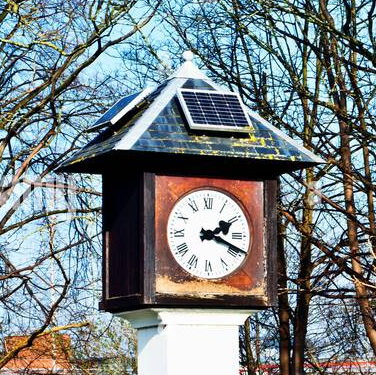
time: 2:18
